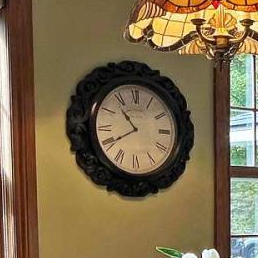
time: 10:40
